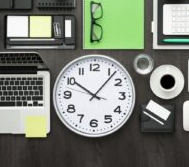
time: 10:06
